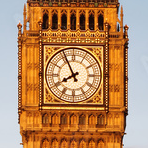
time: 7:55
